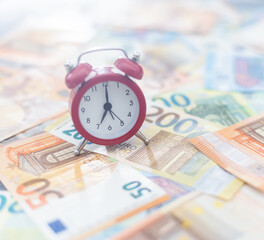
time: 7:00
